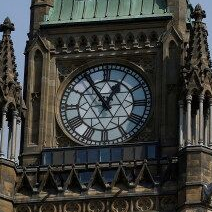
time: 12:54
